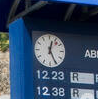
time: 12:25
